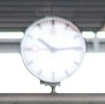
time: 10:14
